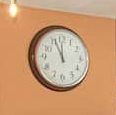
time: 11:56
